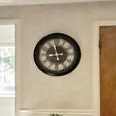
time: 8:57
